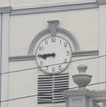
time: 8:45
